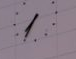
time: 7:35
